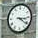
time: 3:21
